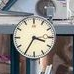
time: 3:34
